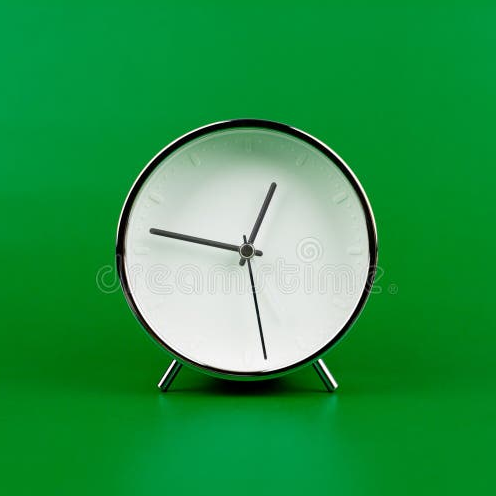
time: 12:46
